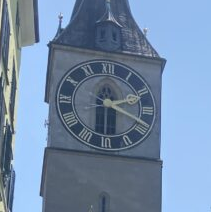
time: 2:18
